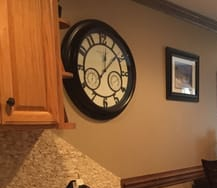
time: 12:07
